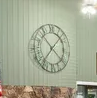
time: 1:36
